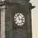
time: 2:56
